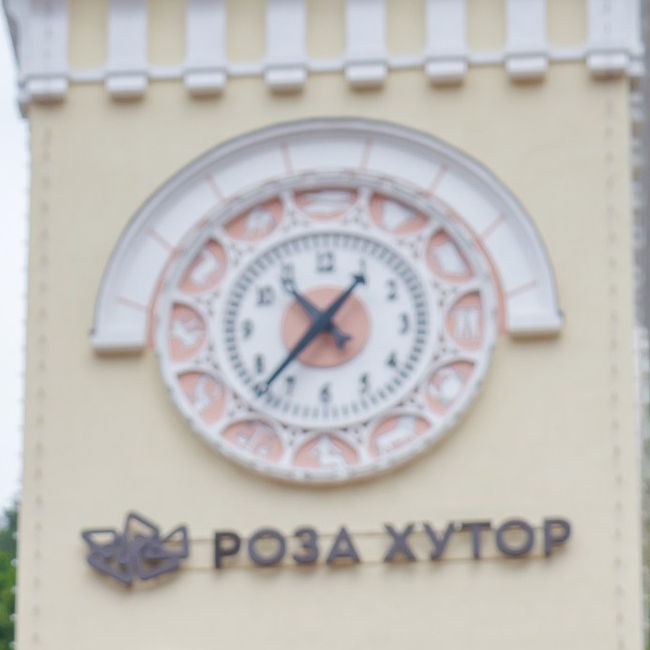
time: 4:36
